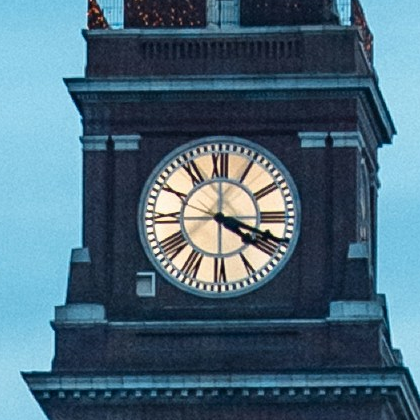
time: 4:18
